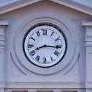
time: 8:15
